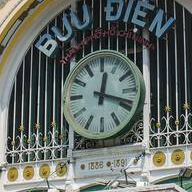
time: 12:18
